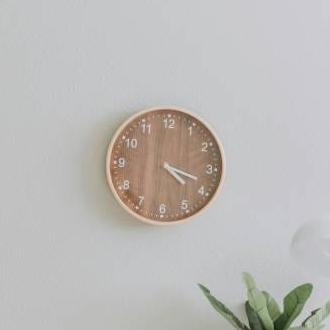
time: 4:18
